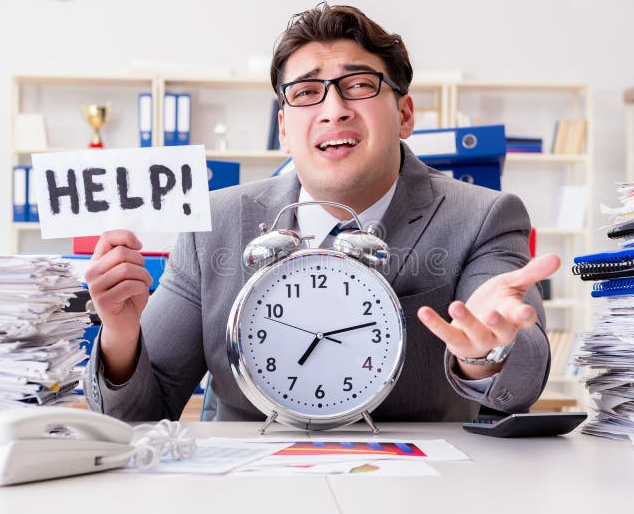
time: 7:12
